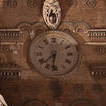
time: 7:31
